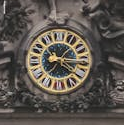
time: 4:15
